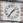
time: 1:36
